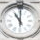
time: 11:00
